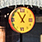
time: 12:55
